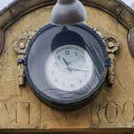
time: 11:18
